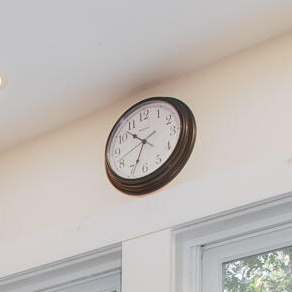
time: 10:34
